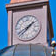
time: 1:37
